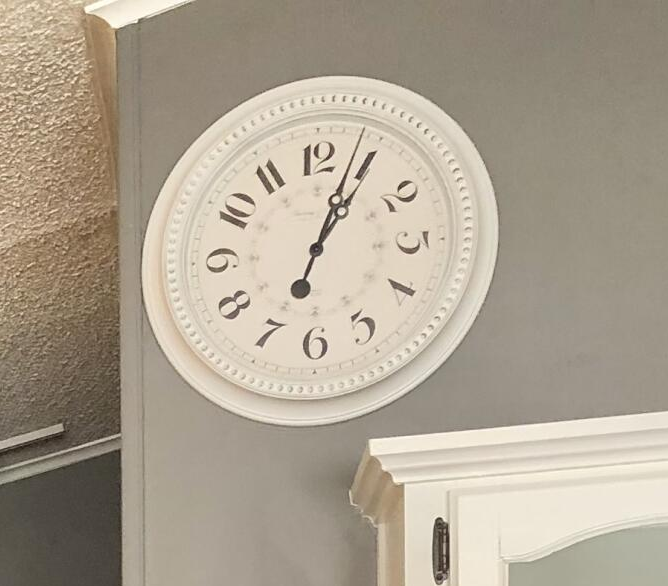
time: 1:03
